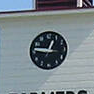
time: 12:46
